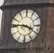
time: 3:46
